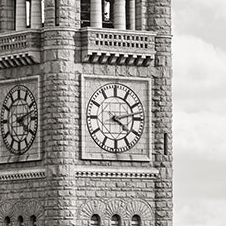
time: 4:13
